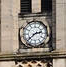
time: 2:38
